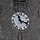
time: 11:17
